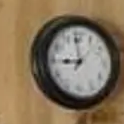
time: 8:59
